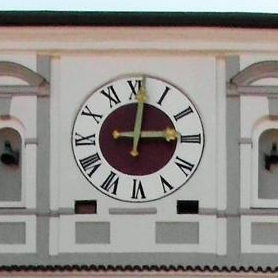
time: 3:01
